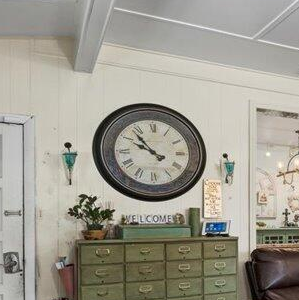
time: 9:53
